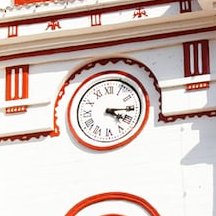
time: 4:15
